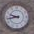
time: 9:43
